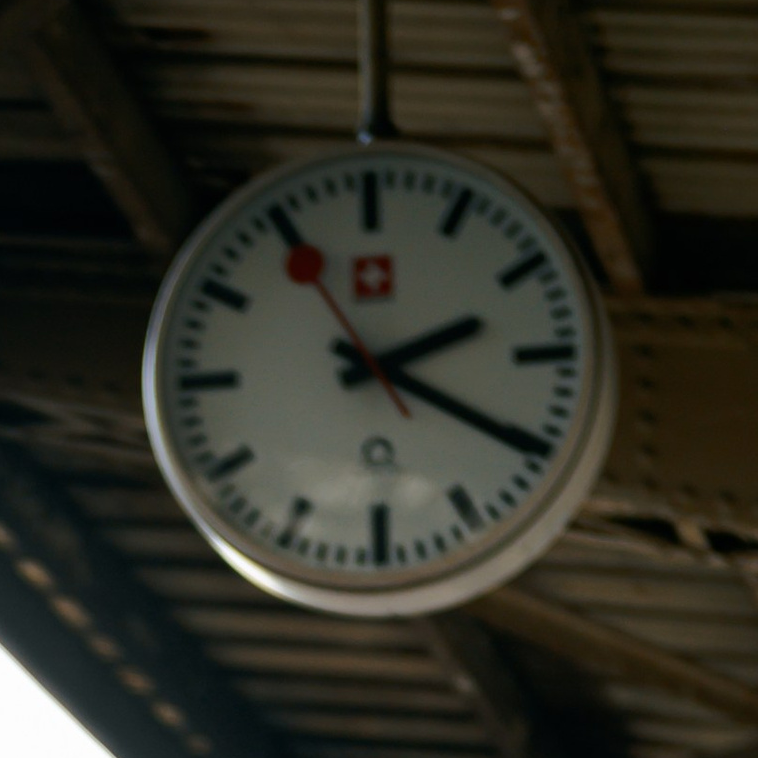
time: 2:20
